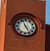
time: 4:56
